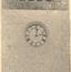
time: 12:13
